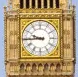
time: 9:44
